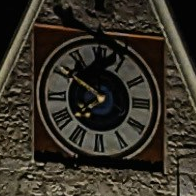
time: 7:50
